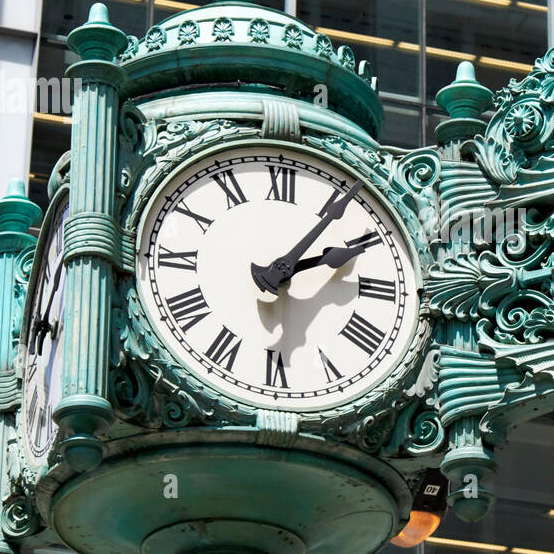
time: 2:06
